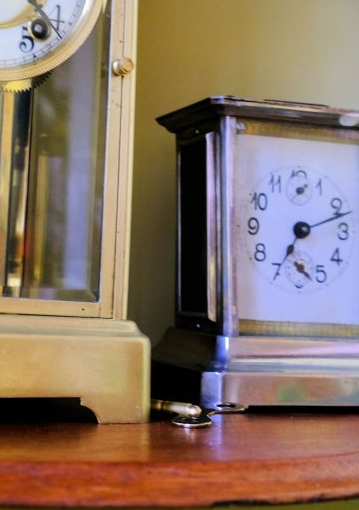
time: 7:12
